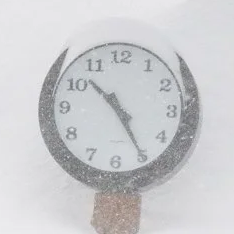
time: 10:24
